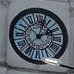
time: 2:02
